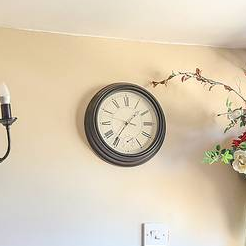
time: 1:35
